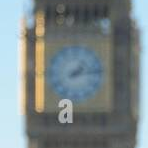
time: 1:13
